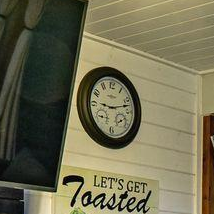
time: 9:12
